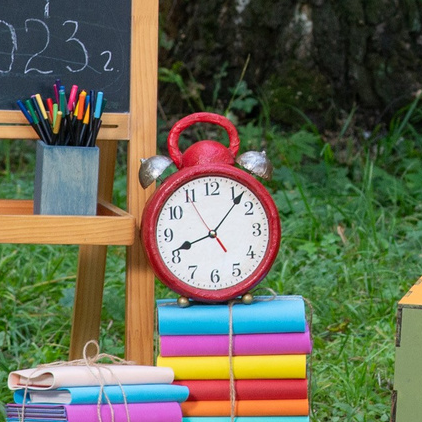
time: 8:06
